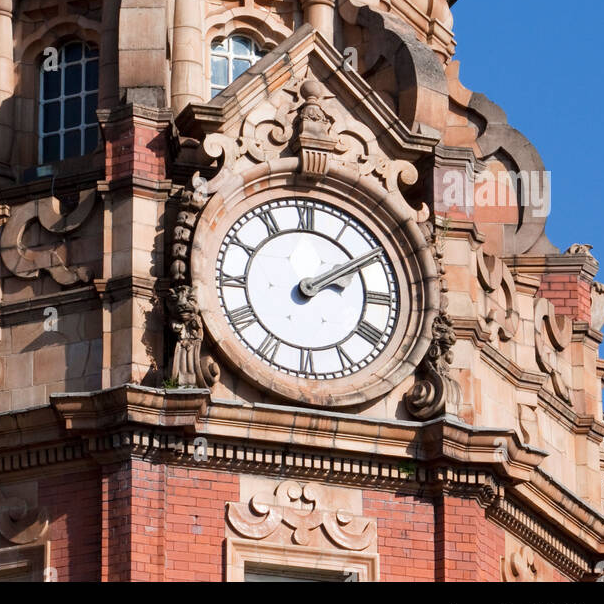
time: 2:09
